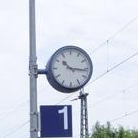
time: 10:16
